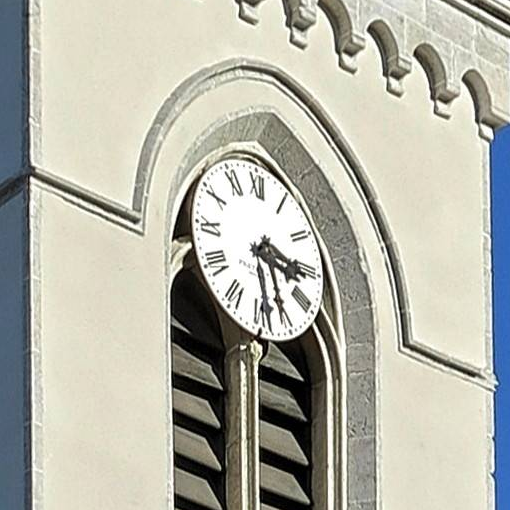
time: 3:28
